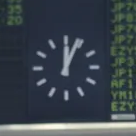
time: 12:04
